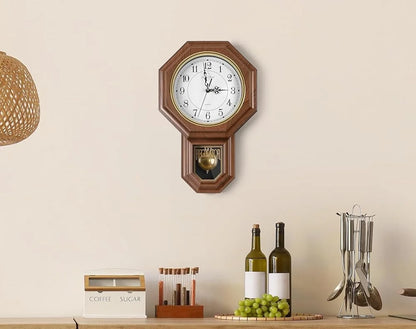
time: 2:58
